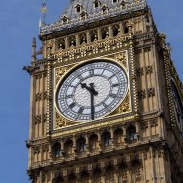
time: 10:30
